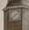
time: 7:37
